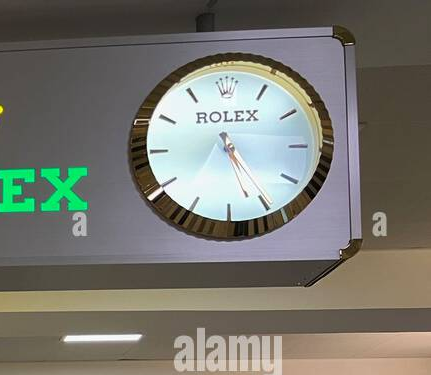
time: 5:24
